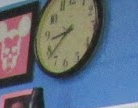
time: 8:37
